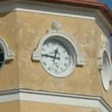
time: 12:46
